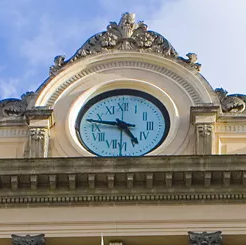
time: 4:46
